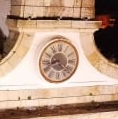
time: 8:21
